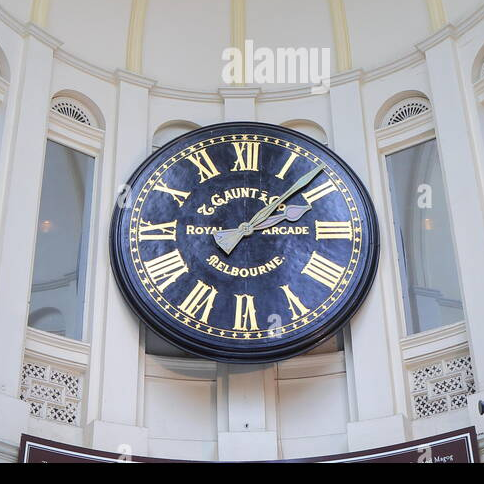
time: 3:08
